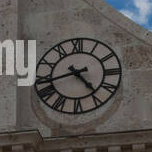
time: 4:42
